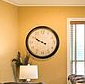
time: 9:50
